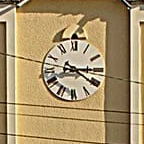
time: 4:14
